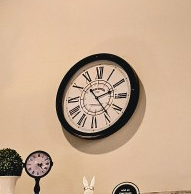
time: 2:23
